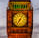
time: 7:05
